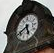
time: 5:38
